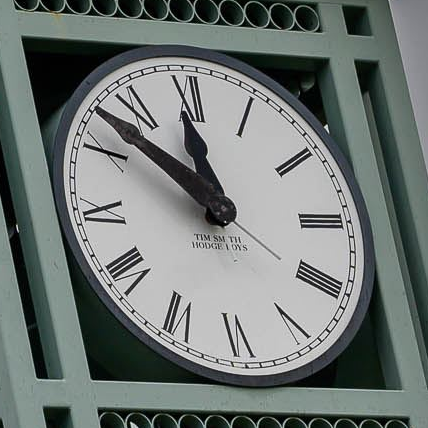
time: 11:52
